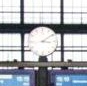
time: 3:09
